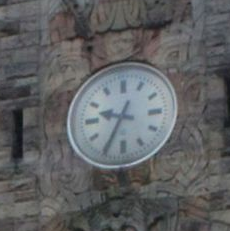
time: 9:34
